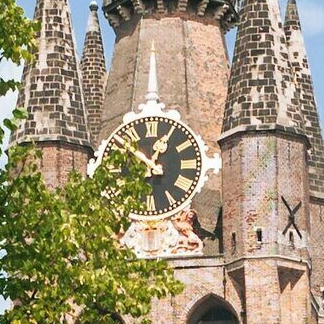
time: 12:51
